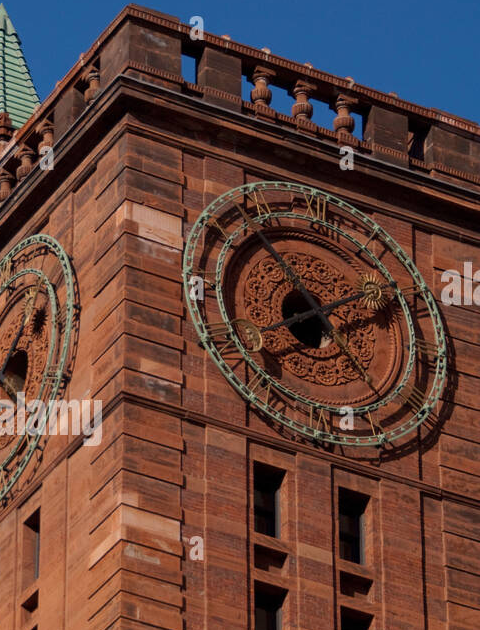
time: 1:53
